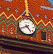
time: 4:40
